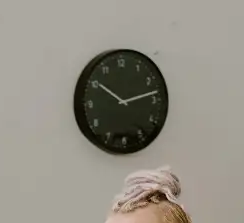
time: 10:13
